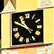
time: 10:49
